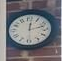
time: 12:12
